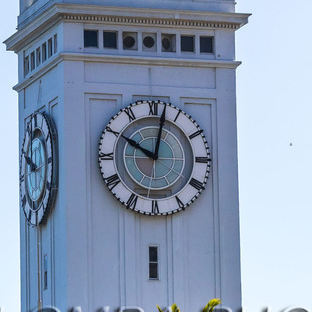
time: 10:02
